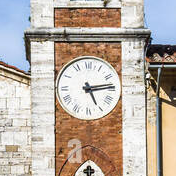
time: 5:13
